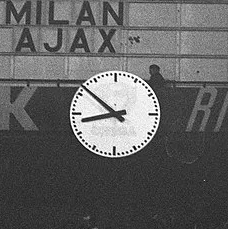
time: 8:51
